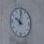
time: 10:00
